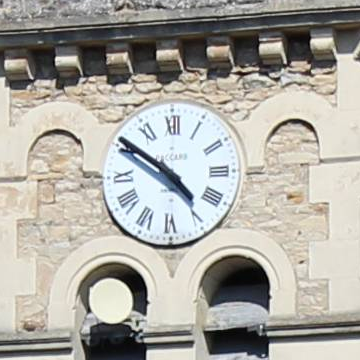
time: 4:50
